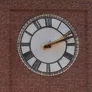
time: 2:11
